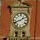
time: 1:41
